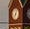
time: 7:03
